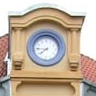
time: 7:45
